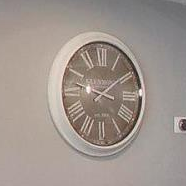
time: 9:09
